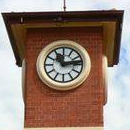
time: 11:13
